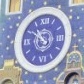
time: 10:50
